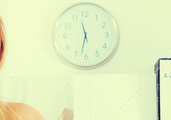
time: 11:32
